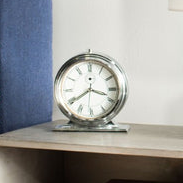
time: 3:39
